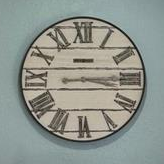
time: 3:14
